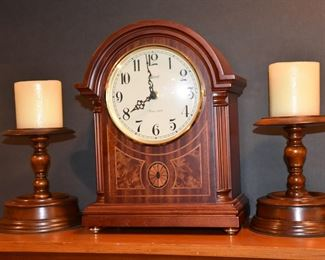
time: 7:59
